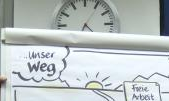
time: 5:05
